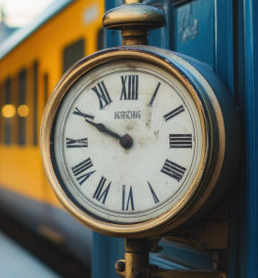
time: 9:49
